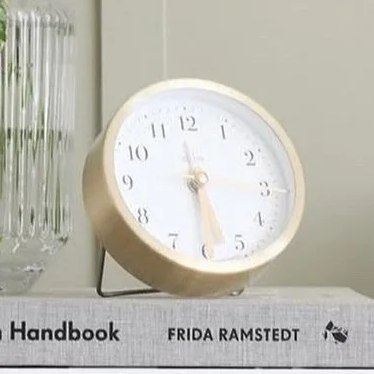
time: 5:30
